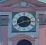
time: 2:40
